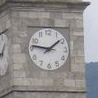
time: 1:46
